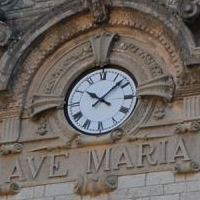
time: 10:07
